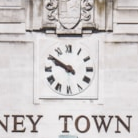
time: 9:50
